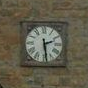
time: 2:28
